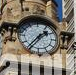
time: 1:36
